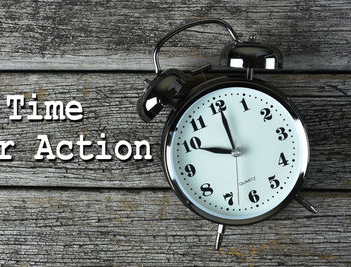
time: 10:00
